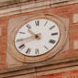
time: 10:43
